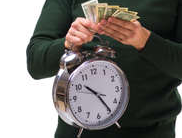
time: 10:24
